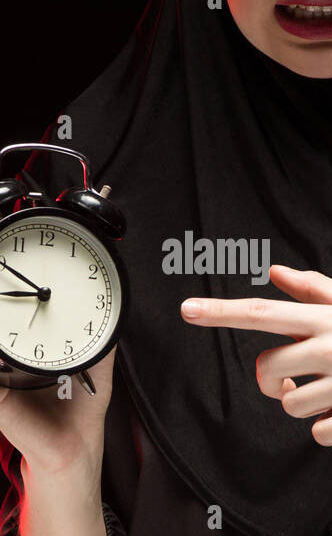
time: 8:50
